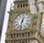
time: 12:31
